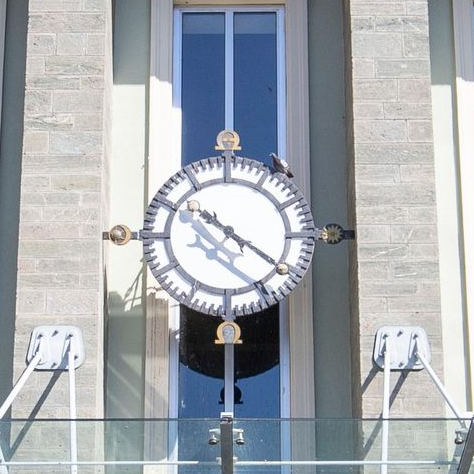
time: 10:20
